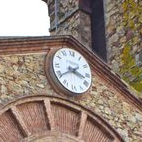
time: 3:39
